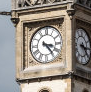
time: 3:23
